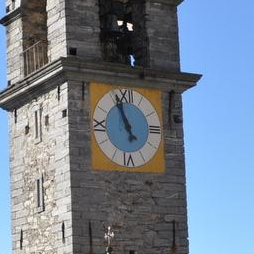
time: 4:56
